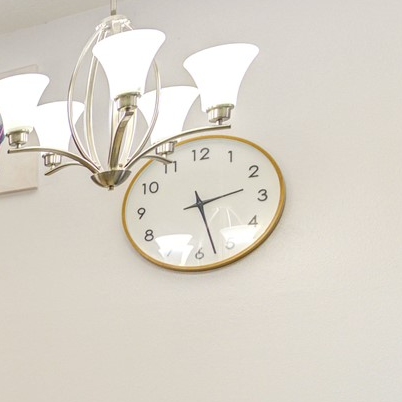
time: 2:27
